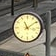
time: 11:09
